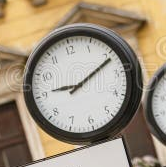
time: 9:11
